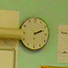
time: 2:11
